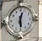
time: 12:28
